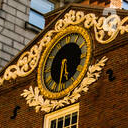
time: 5:30
